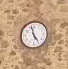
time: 4:57
